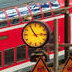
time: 2:54
